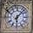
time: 6:07
